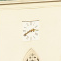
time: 2:40
